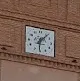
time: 6:06
